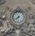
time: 7:40
